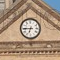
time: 6:45
